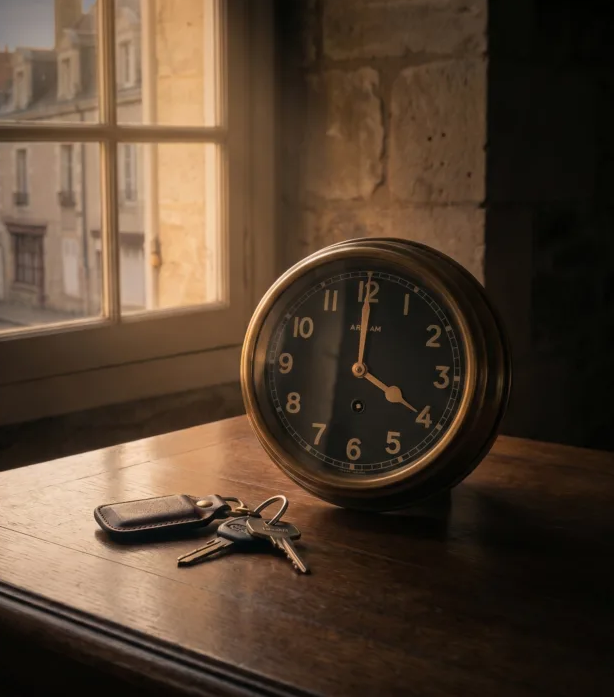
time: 4:00
